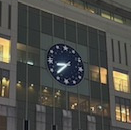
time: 8:37
